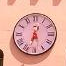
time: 12:32
